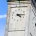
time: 4:14
